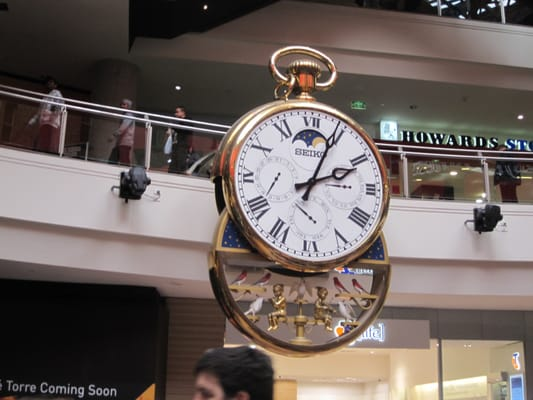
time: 2:04
